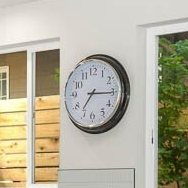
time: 7:15
